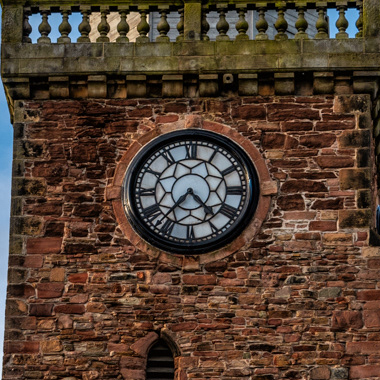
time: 4:36
